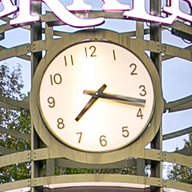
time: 7:17
